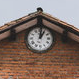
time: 1:01
